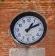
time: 1:10
